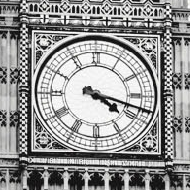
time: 4:17
